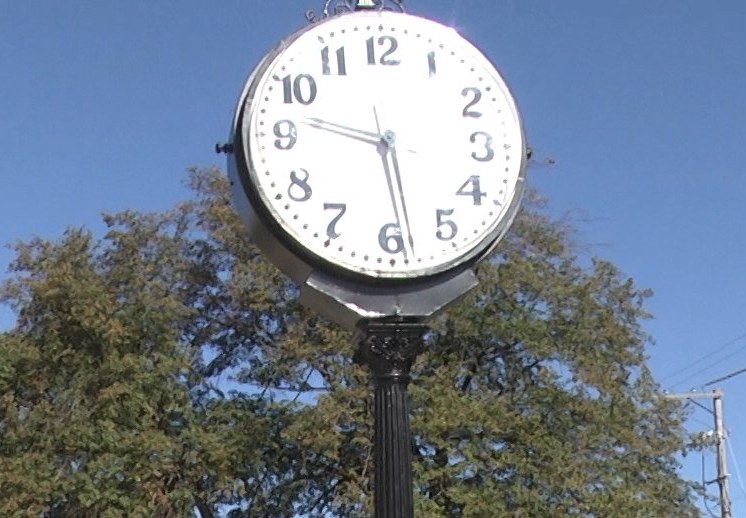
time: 9:28
